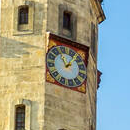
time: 11:07
